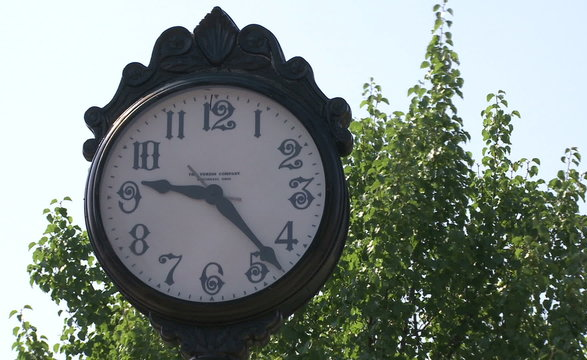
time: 9:22
